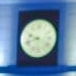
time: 9:42
